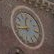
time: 11:42
